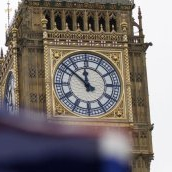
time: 11:51
